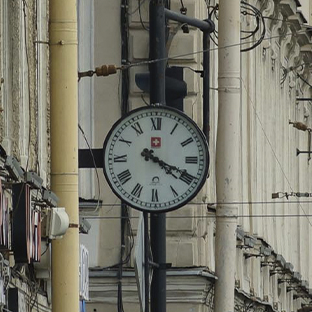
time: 4:19
